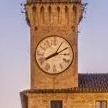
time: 8:10
